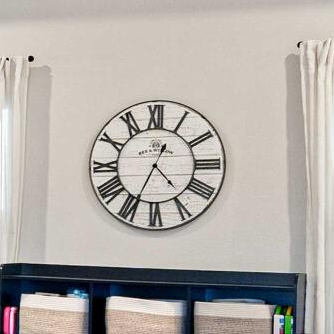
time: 4:34
